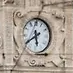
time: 5:38
